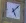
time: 5:07
